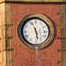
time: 5:28
